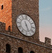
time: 5:26
